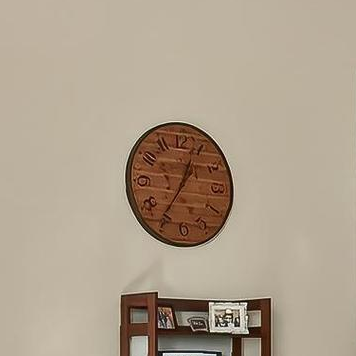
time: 12:35
